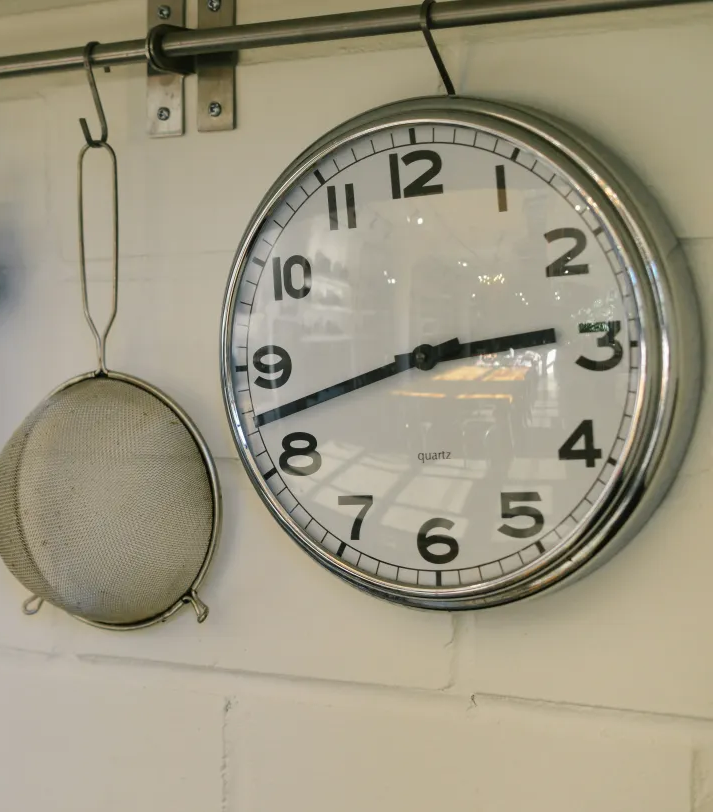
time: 2:42
